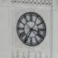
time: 3:35
